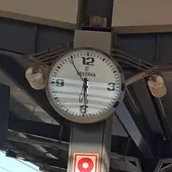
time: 5:54
